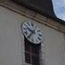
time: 9:36
